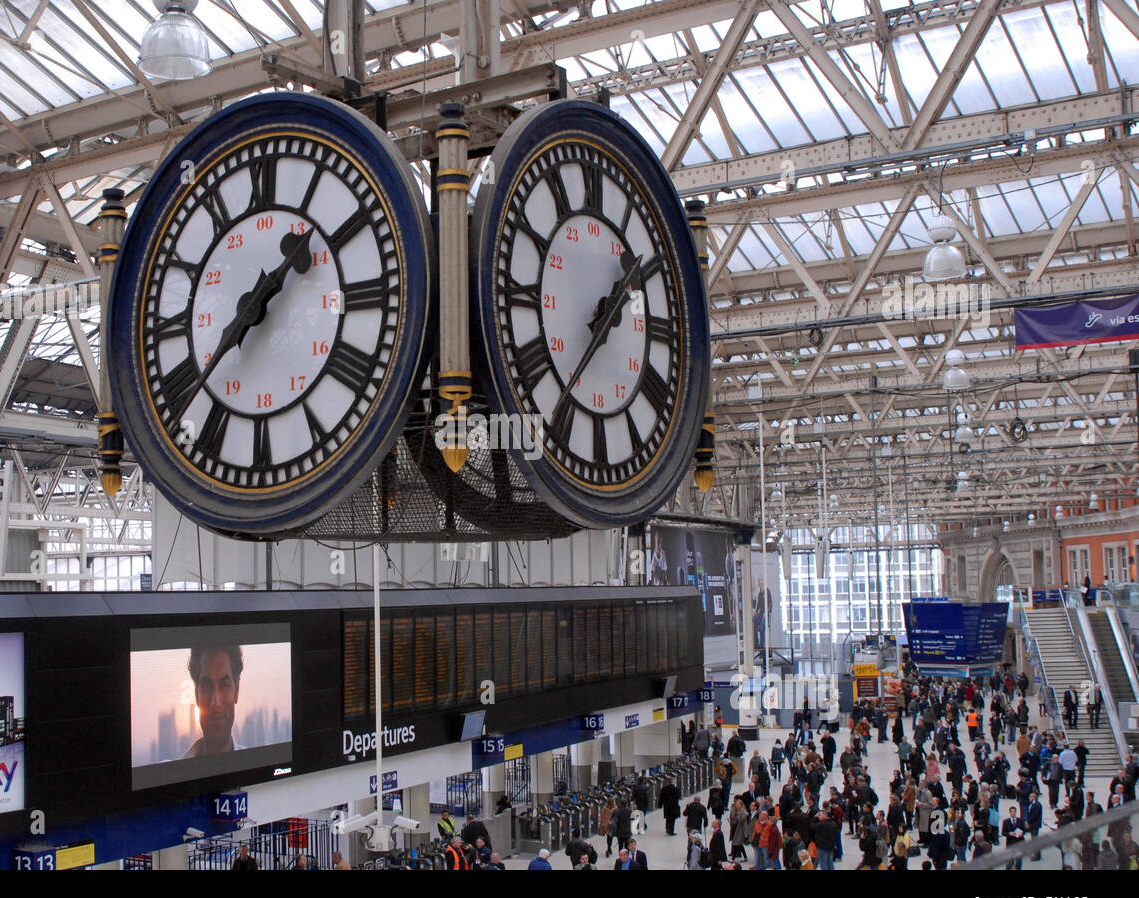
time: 1:36
